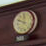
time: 11:49
